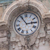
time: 2:54
